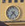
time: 7:23
